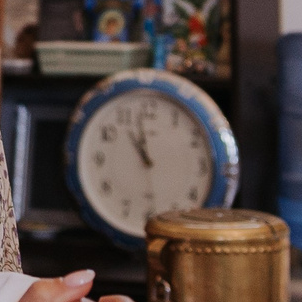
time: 10:58
